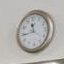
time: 11:43
